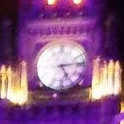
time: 5:14
